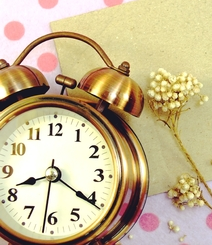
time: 8:20
